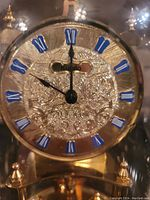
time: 10:00
